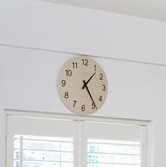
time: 1:24
